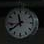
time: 11:39
